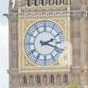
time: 2:18
